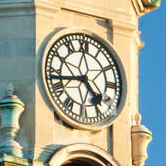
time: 4:42
